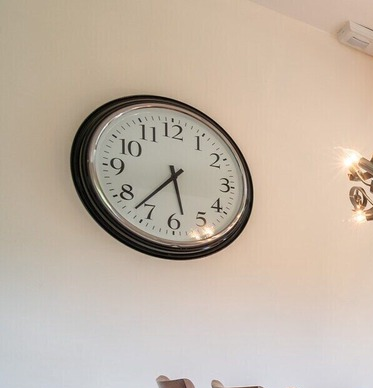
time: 5:37
